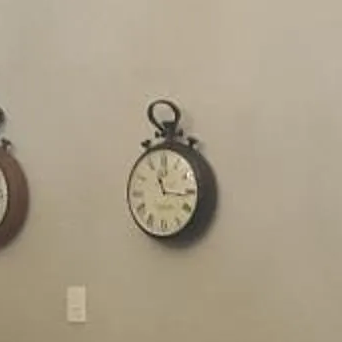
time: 11:16
